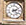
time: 2:23
